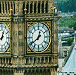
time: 12:38
